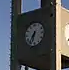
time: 6:36
